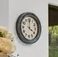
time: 4:00
